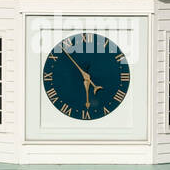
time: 5:53
